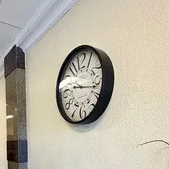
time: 9:17
